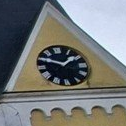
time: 1:46
